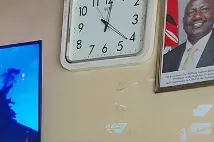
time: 12:21
